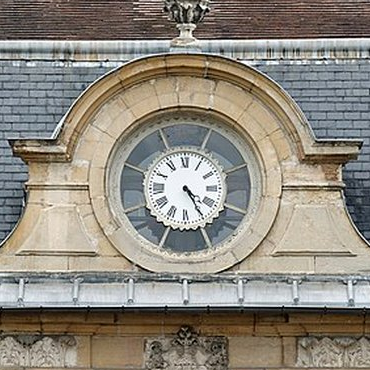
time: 4:24
